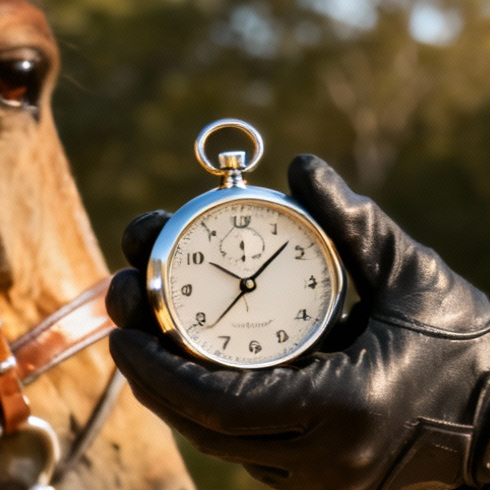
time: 10:07
